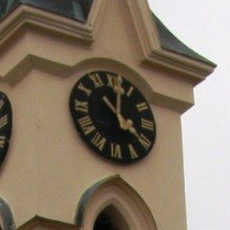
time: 4:01
